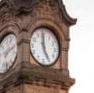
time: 4:59
